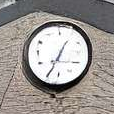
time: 6:34
